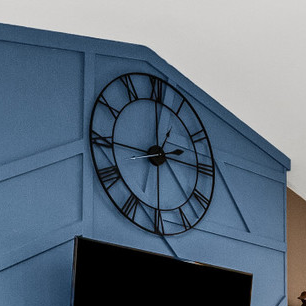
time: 2:00
